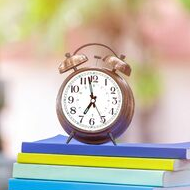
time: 6:58
